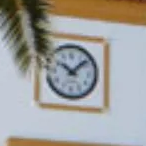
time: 10:07
